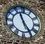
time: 4:56
